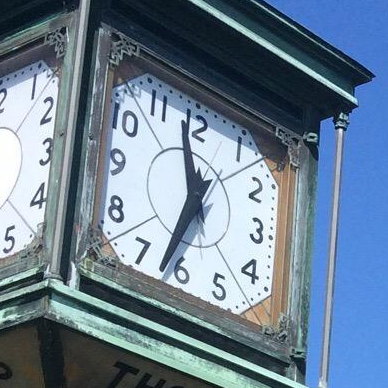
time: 11:32
